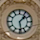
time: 1:28
